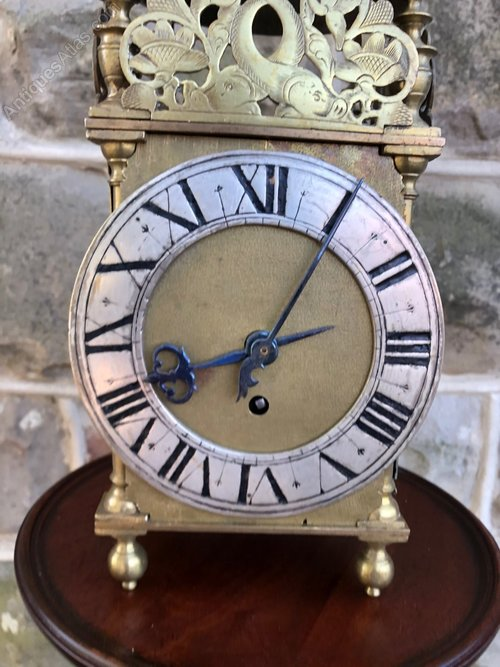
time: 8:05
